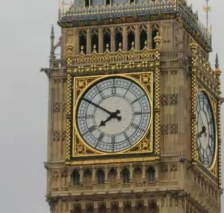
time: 7:49
